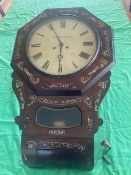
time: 5:55
